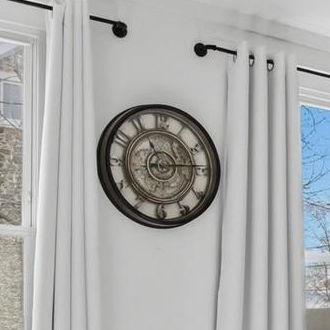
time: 11:14
